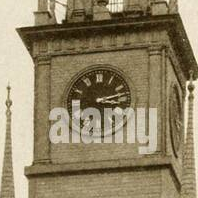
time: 3:12
